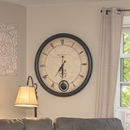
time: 7:30
